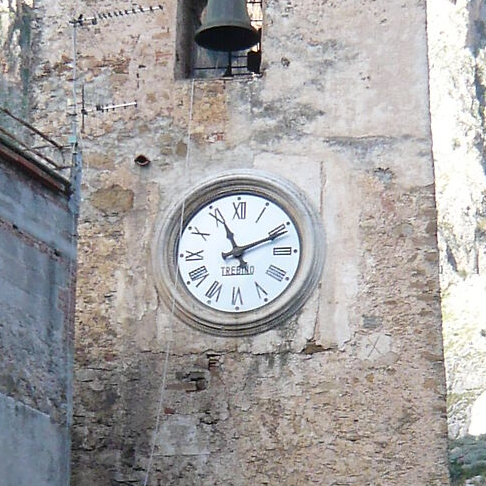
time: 11:11
